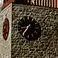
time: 8:36
